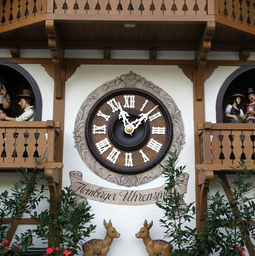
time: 1:56
